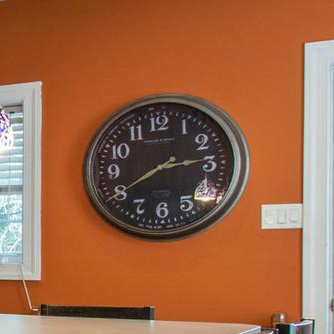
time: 2:40
